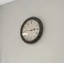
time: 2:46
